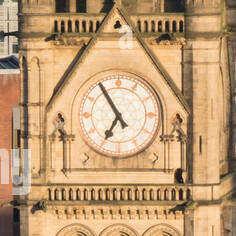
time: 6:54
